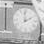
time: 1:59
